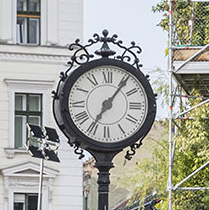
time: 7:06
